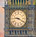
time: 9:20
